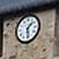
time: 1:28
